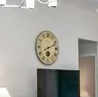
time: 6:11
